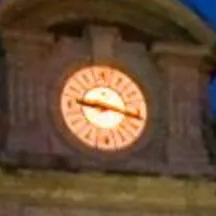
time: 9:17
